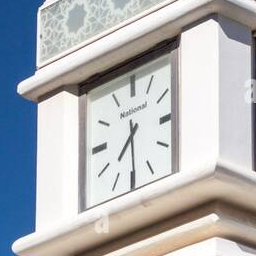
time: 7:30
